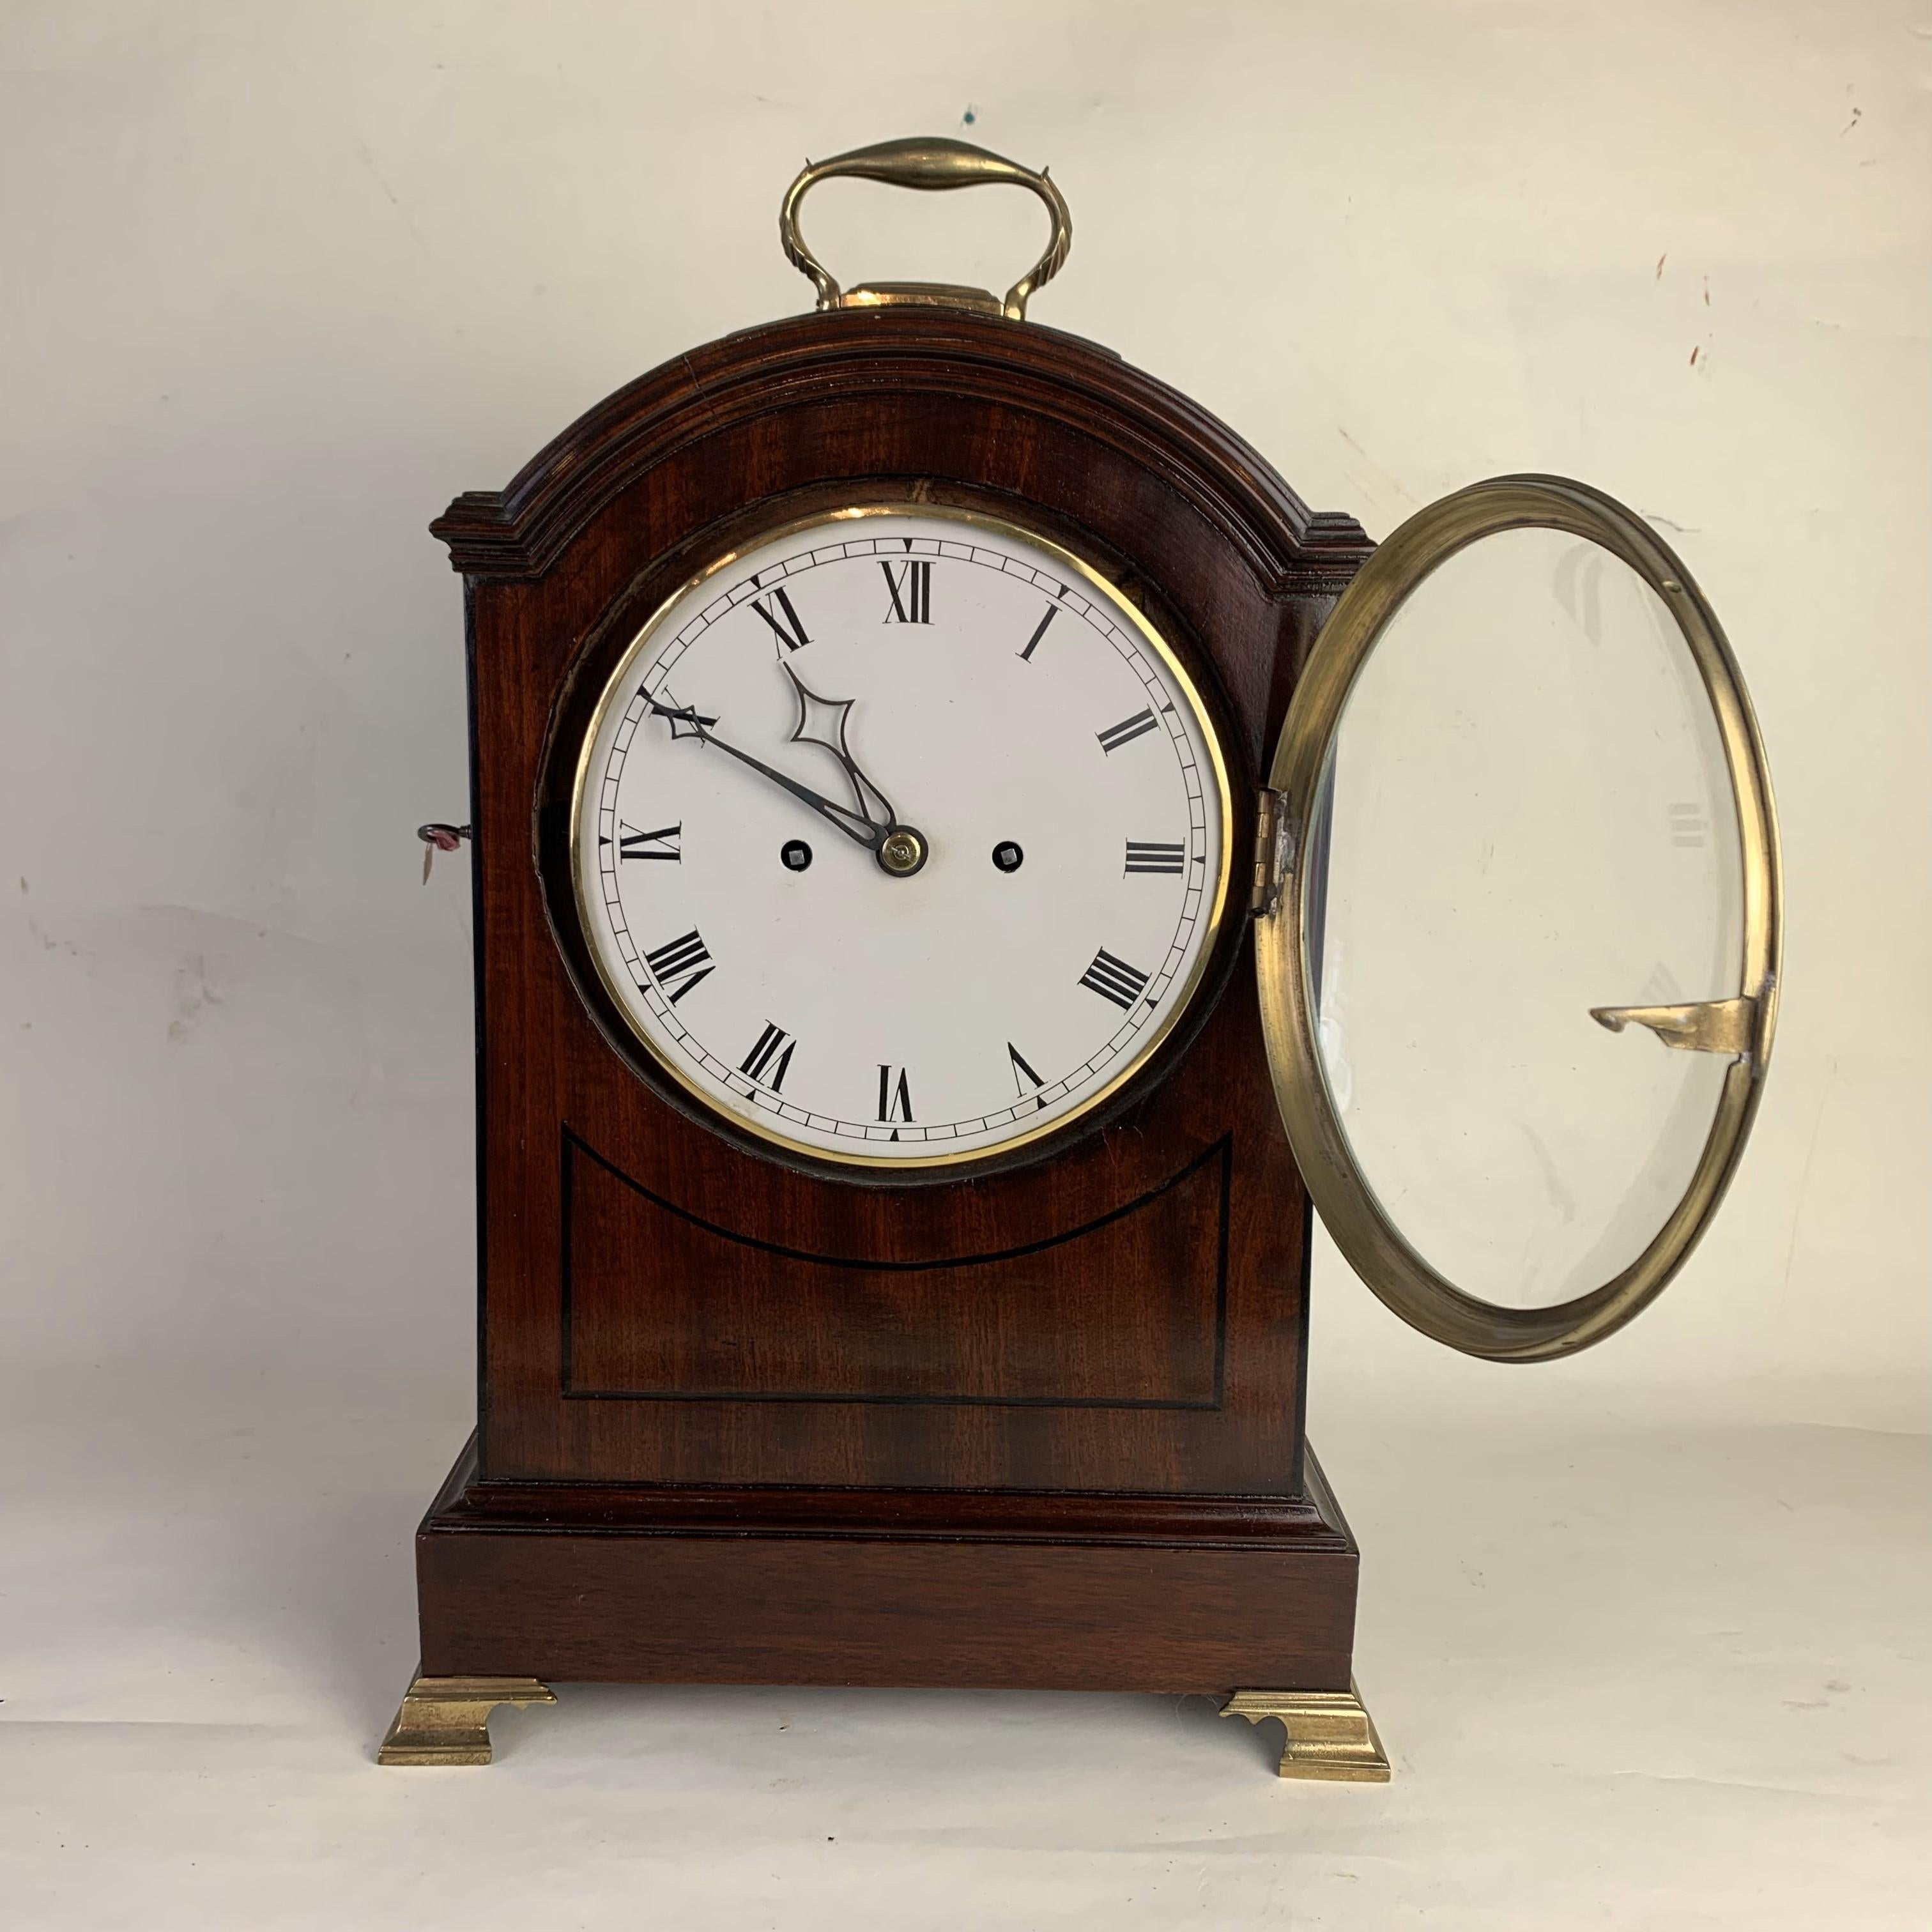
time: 10:49
